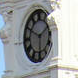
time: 1:49
